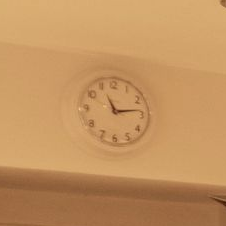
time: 11:13
